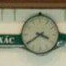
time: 3:39
